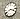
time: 3:40
